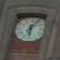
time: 6:06
